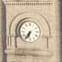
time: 6:36
